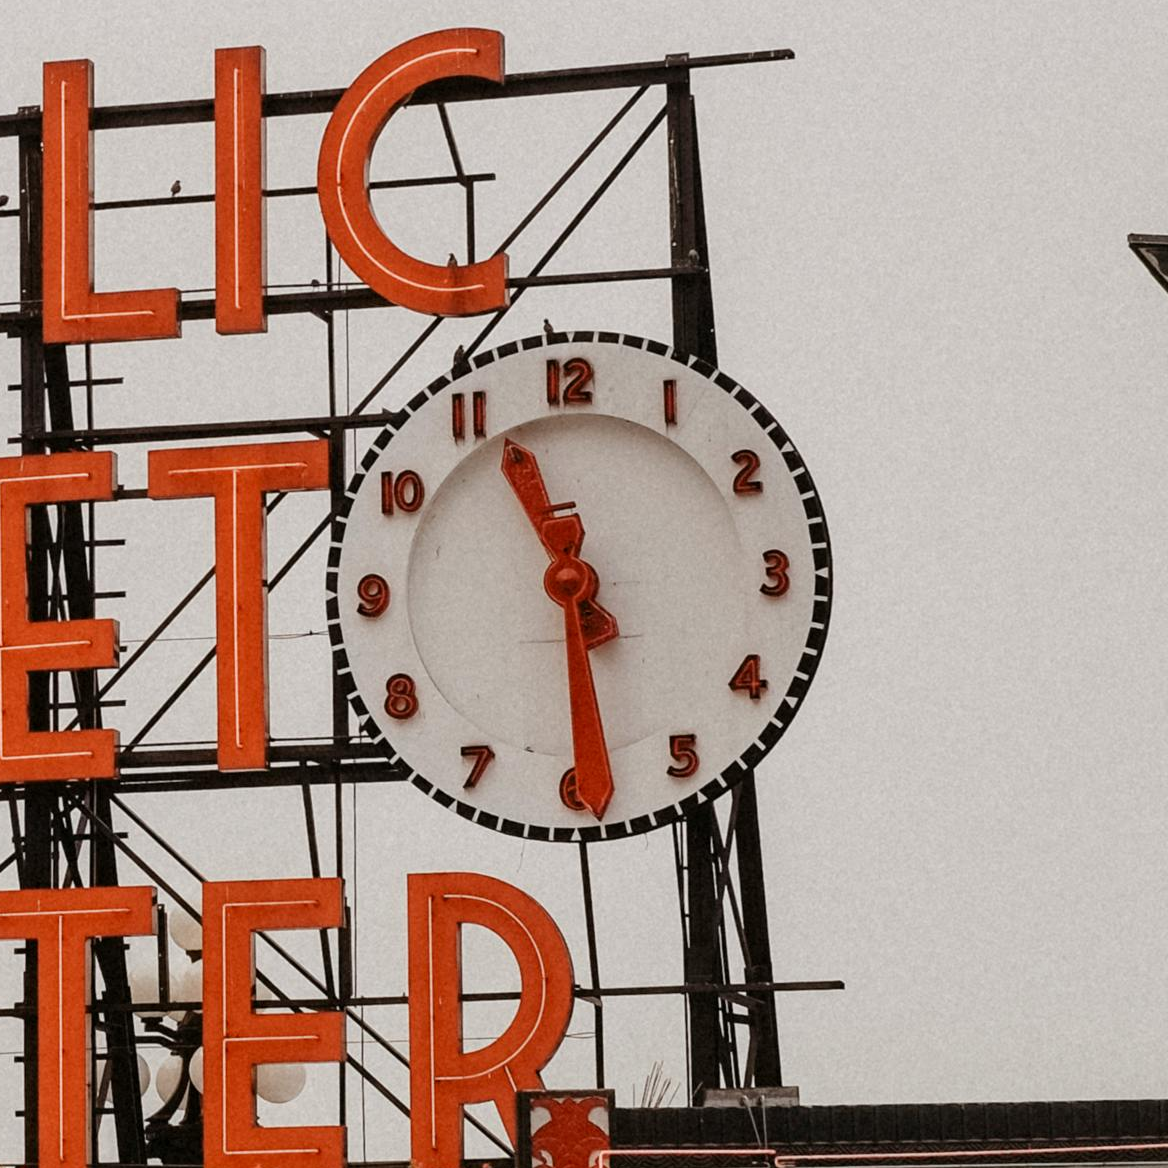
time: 11:29
